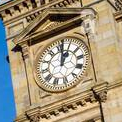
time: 1:01
